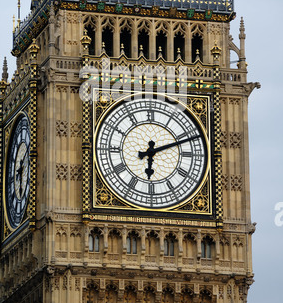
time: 6:11
